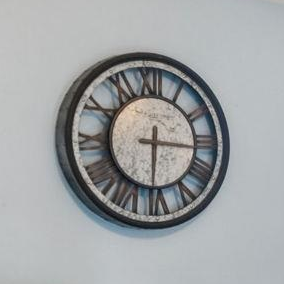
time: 6:16
